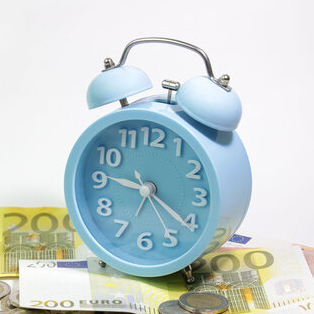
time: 9:20
